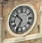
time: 10:34
